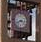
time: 8:16
